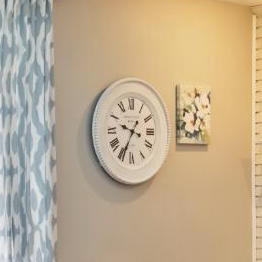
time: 3:34
